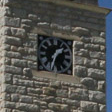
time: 1:32
